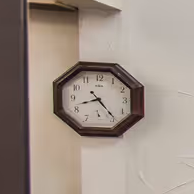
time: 8:23
